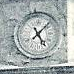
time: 5:07
